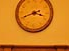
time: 3:41
